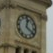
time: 12:20
